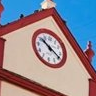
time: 10:19
